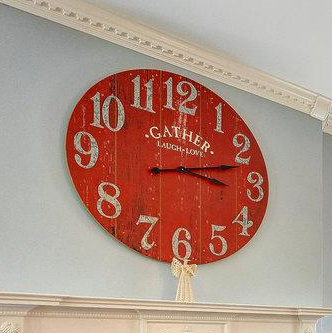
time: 3:12
